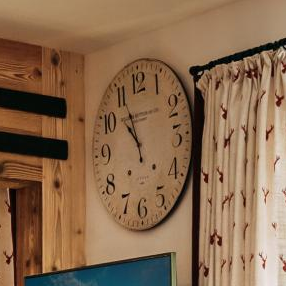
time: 10:56
